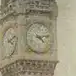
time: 4:12
